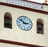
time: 2:52
